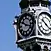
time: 10:17
